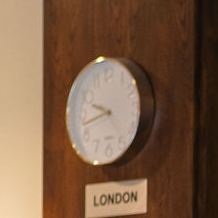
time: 9:42
